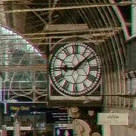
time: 9:08
